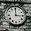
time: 3:00
